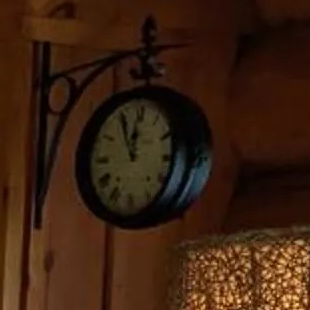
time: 11:55
